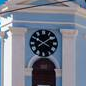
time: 1:50
